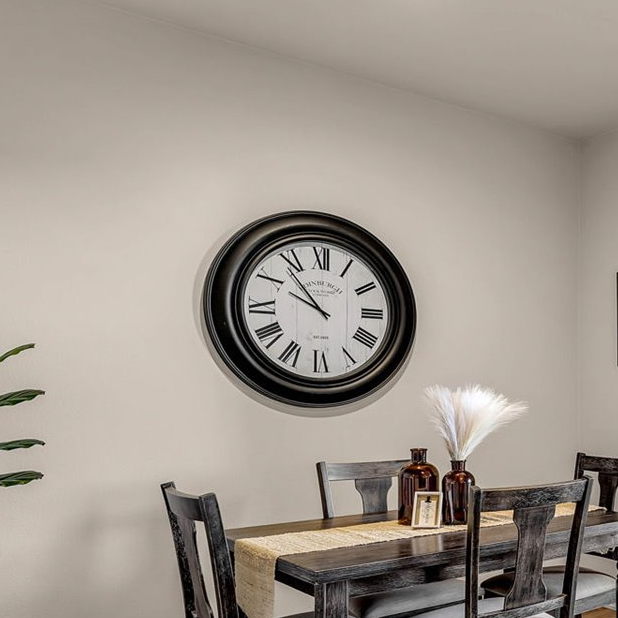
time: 9:53
